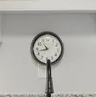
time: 10:42
